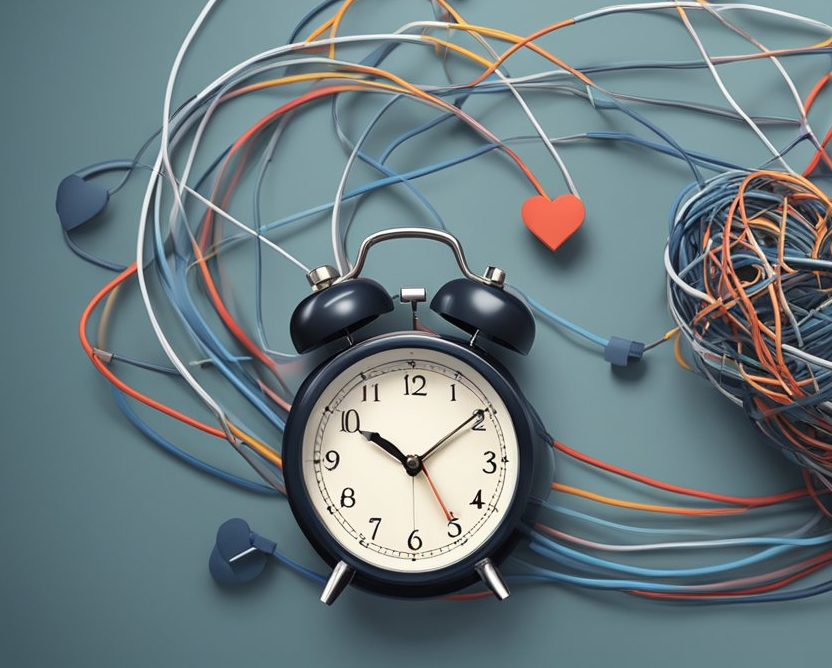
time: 10:09
